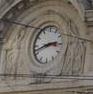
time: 2:42
